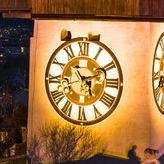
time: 4:42
